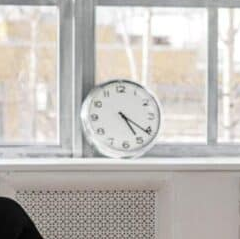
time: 5:21
